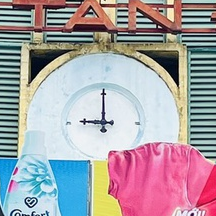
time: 8:59
